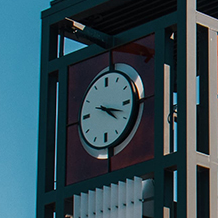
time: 4:17
